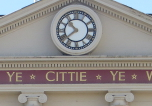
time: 10:38
